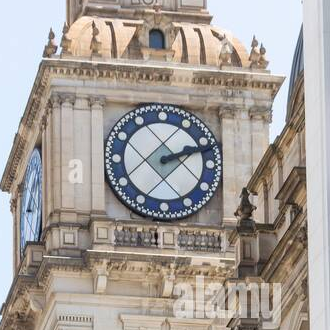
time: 2:11
